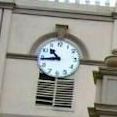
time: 10:44
